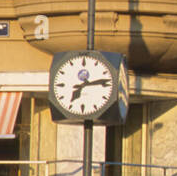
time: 7:13
